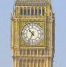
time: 10:34
